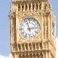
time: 2:57
